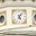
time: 5:06
